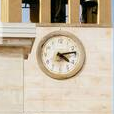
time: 4:13
